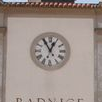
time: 12:55
